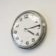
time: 4:13
